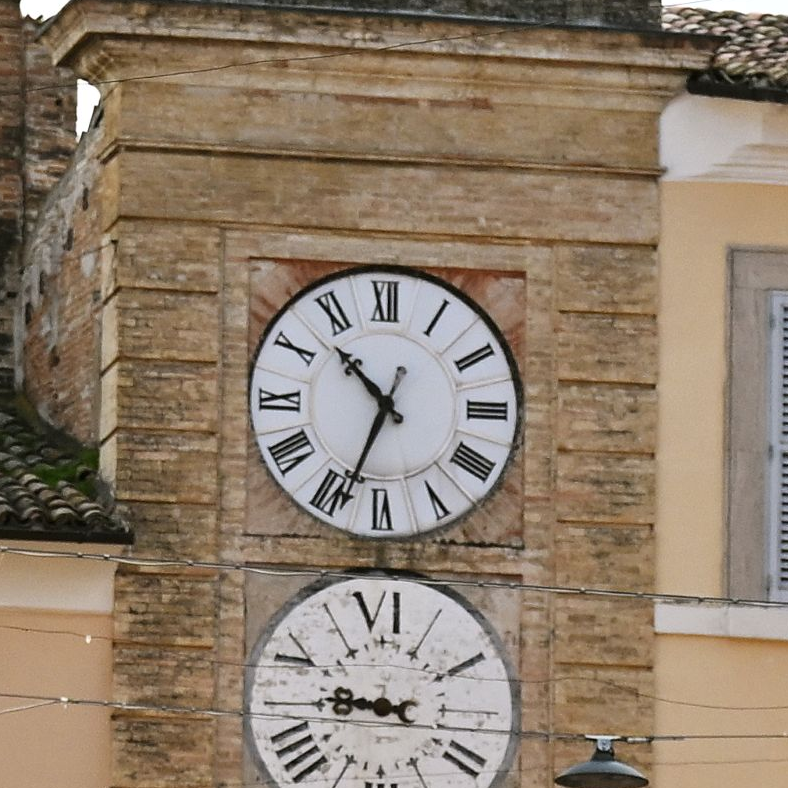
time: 10:33
